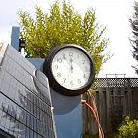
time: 11:53
